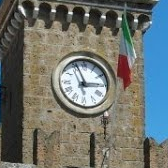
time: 2:56
